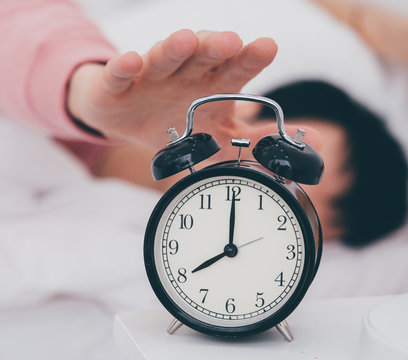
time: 8:00
